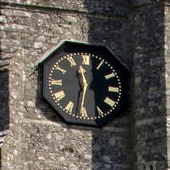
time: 11:31
